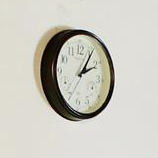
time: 2:05
